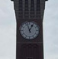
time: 12:57
